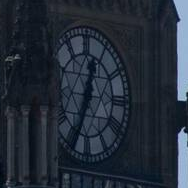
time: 12:34
